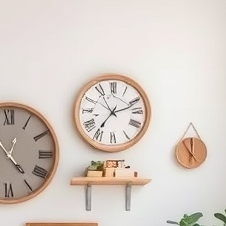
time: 7:11
